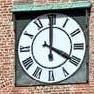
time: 3:59
